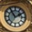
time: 1:54
